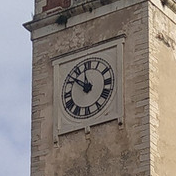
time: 11:51
